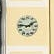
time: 1:46
